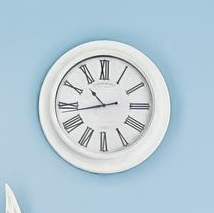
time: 10:43
